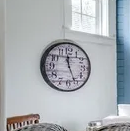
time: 11:25
